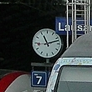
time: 11:12
